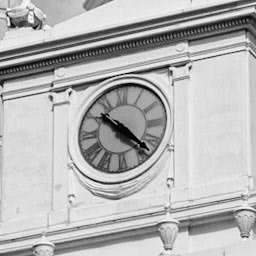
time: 10:22
